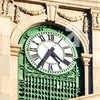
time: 4:35
